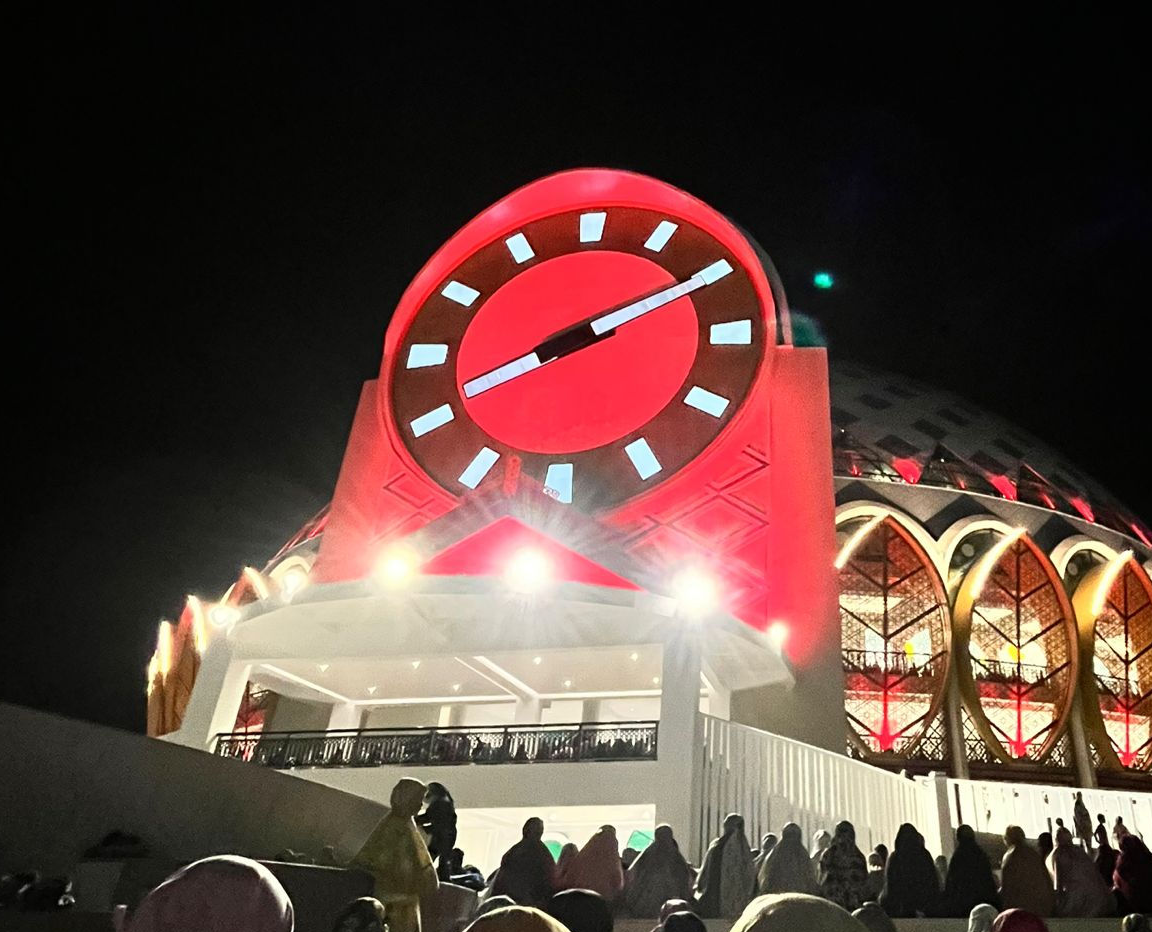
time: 8:10
